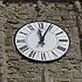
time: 12:04
